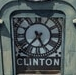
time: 7:25
